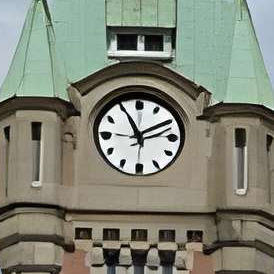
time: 11:10
